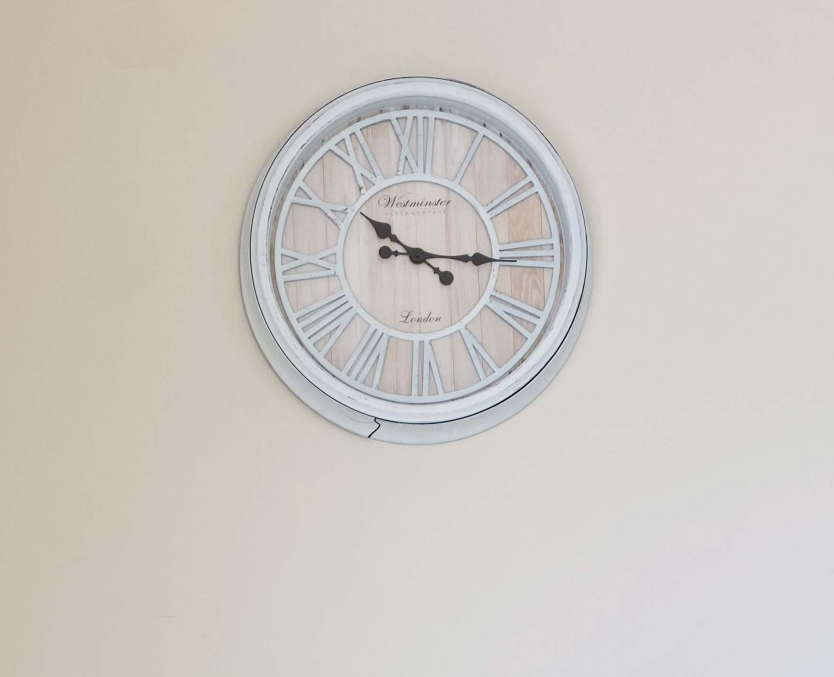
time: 10:15
